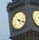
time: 5:18
